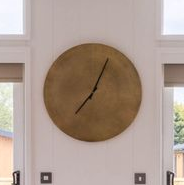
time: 7:04
